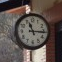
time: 11:15
